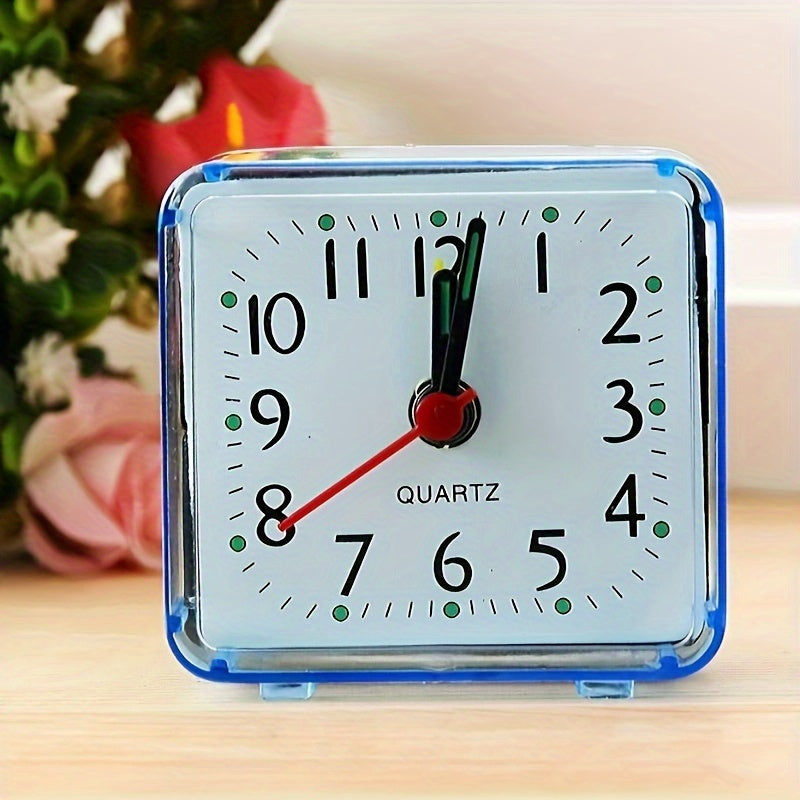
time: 12:01
